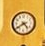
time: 4:39
